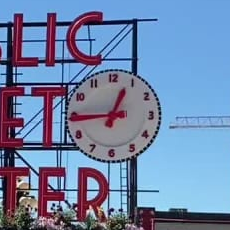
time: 12:44
